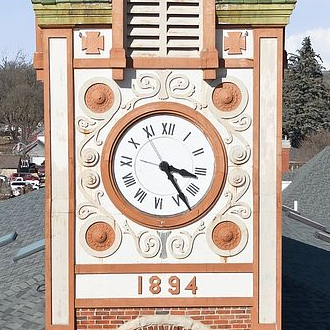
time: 3:23
